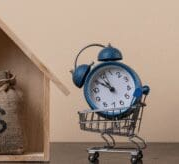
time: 10:50
